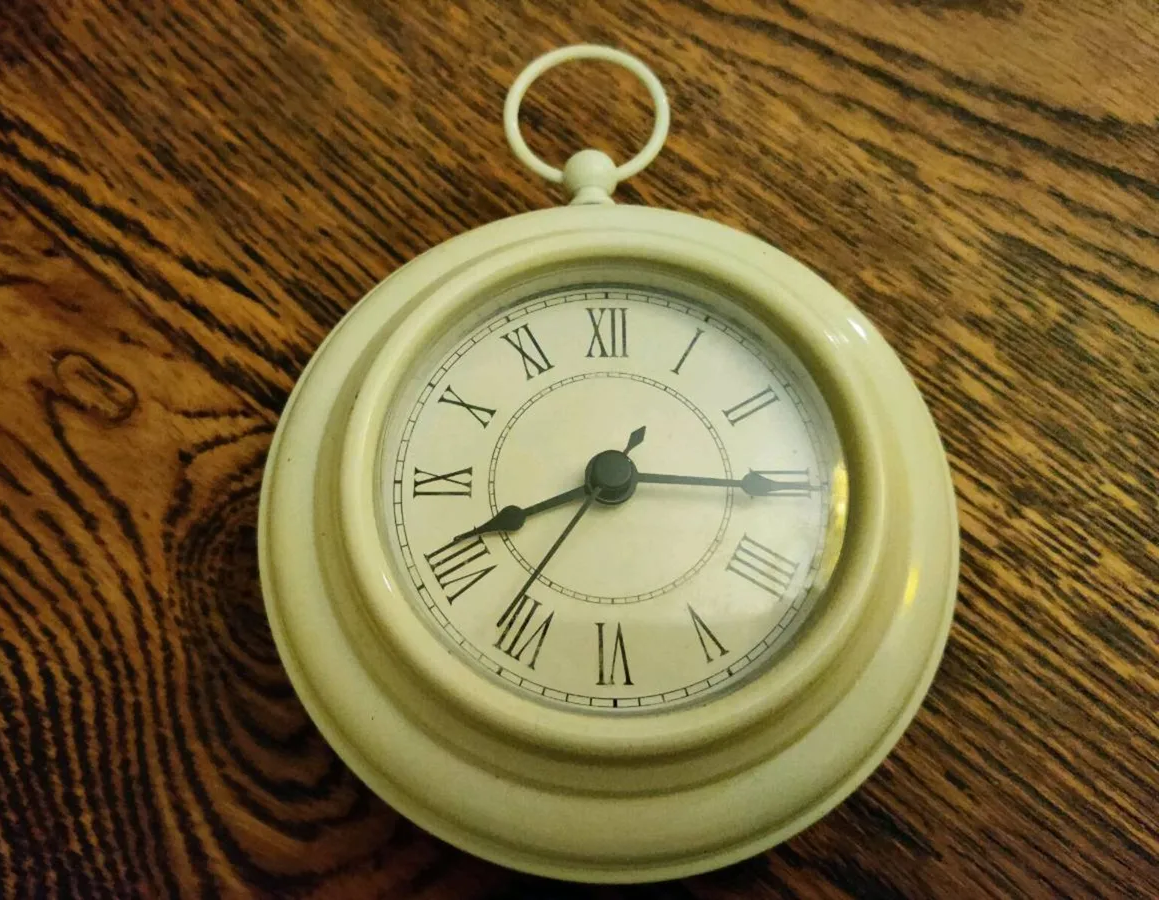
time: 8:15
